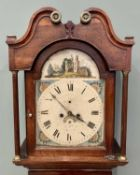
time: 3:52
